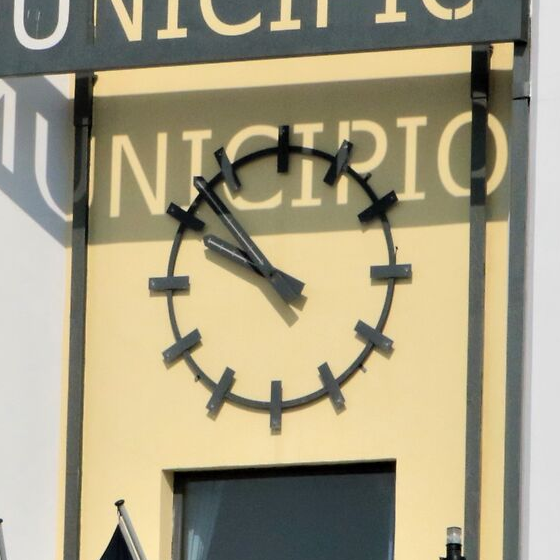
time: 9:52
